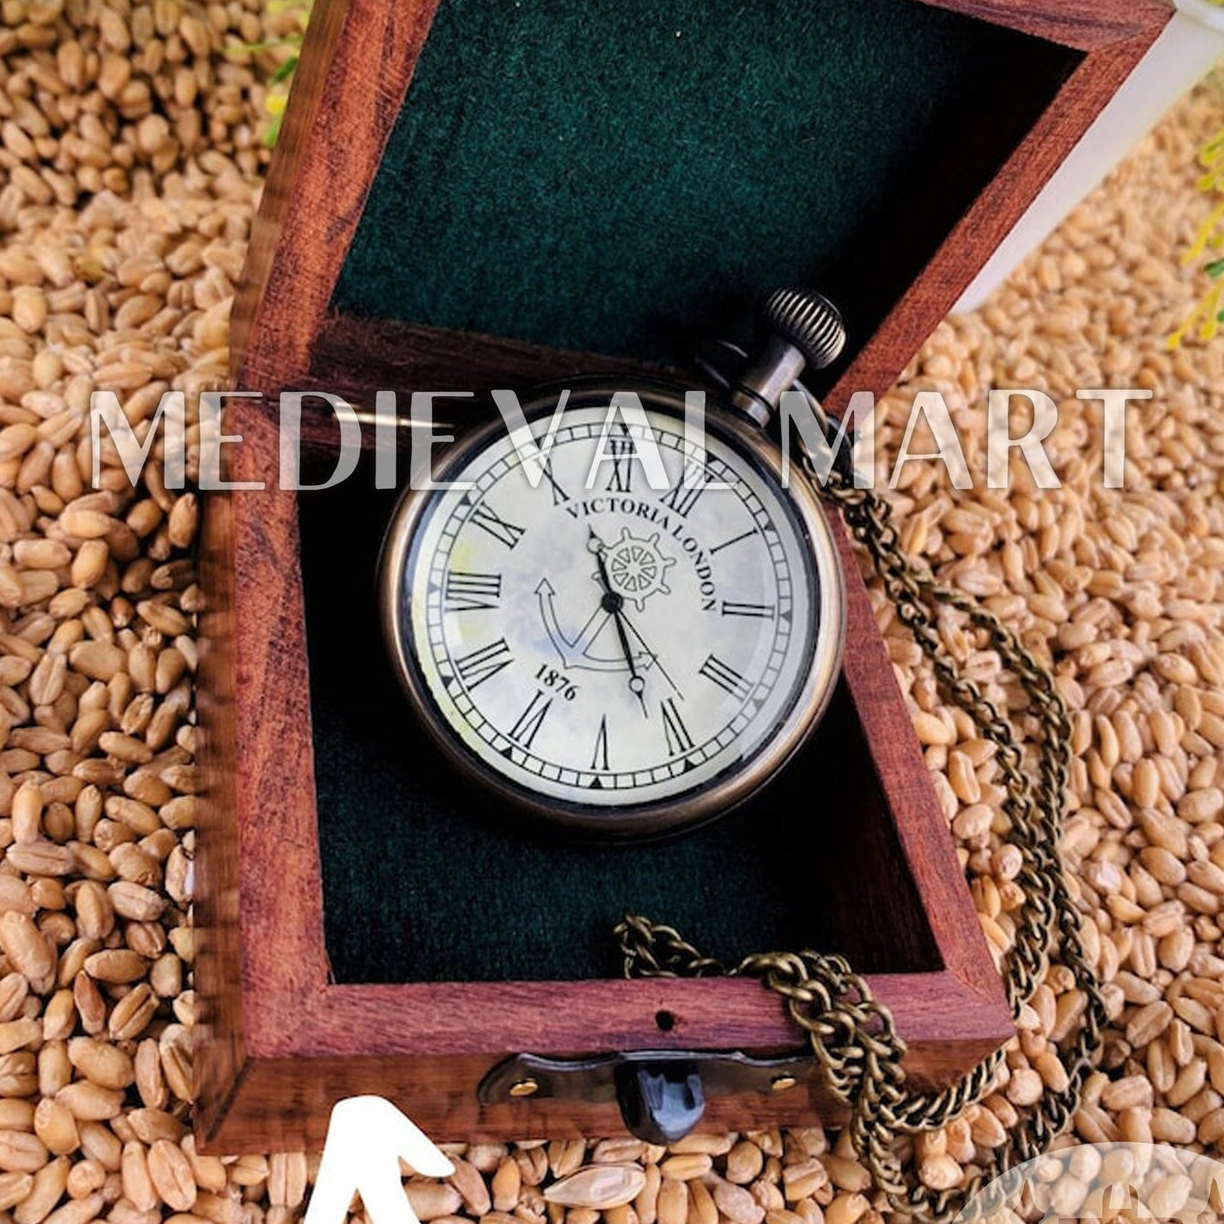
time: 11:26
